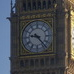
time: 9:23
